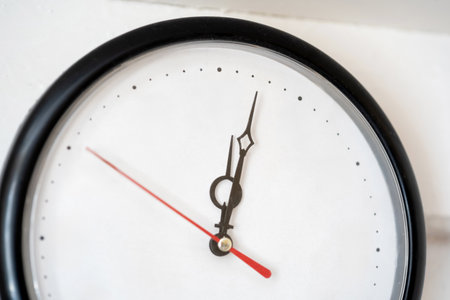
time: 12:02
